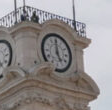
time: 4:59
